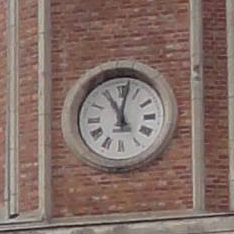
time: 11:01
